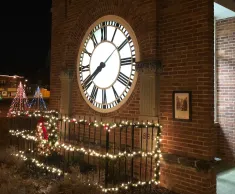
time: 8:09
